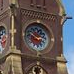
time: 2:48
